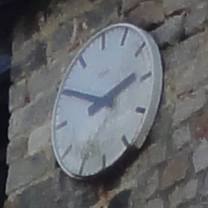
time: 2:50
